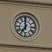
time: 6:59
